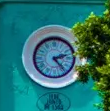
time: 2:24
